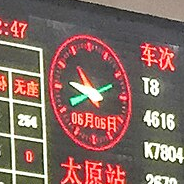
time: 10:46
